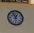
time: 12:55
